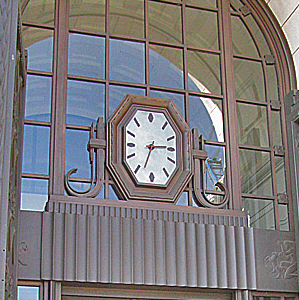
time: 2:33
